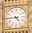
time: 4:44
